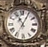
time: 11:05
